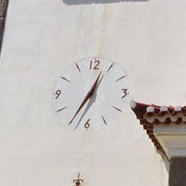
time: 12:34
